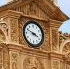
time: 3:48
